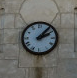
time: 2:06
